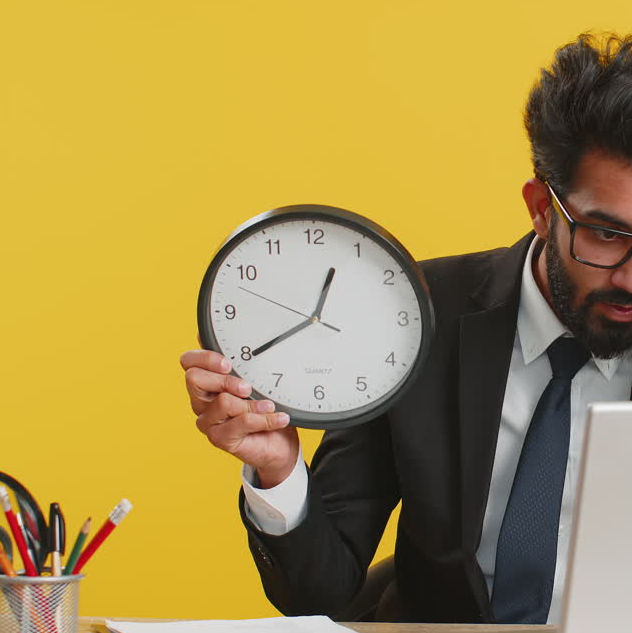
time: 12:39
